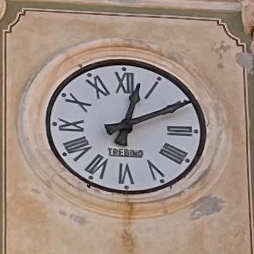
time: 2:02
